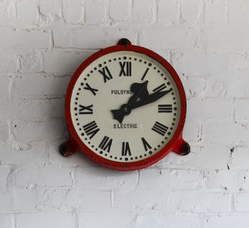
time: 1:11
